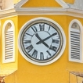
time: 4:09
